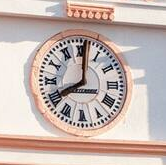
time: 8:00
